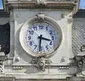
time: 3:31
